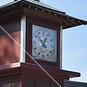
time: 12:52
